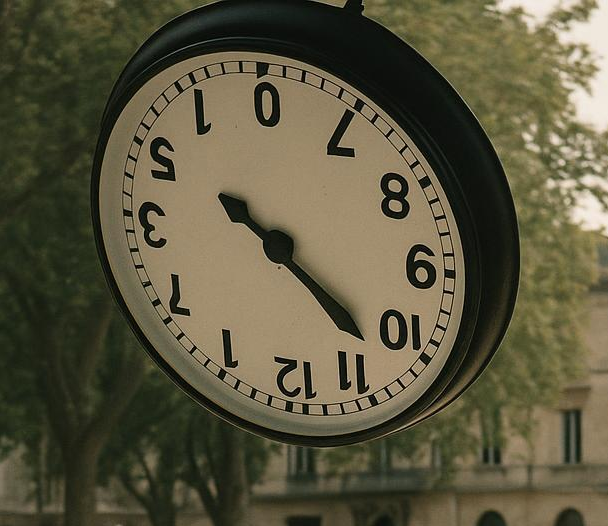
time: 10:22
